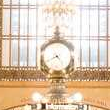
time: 4:40
